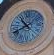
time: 10:41
